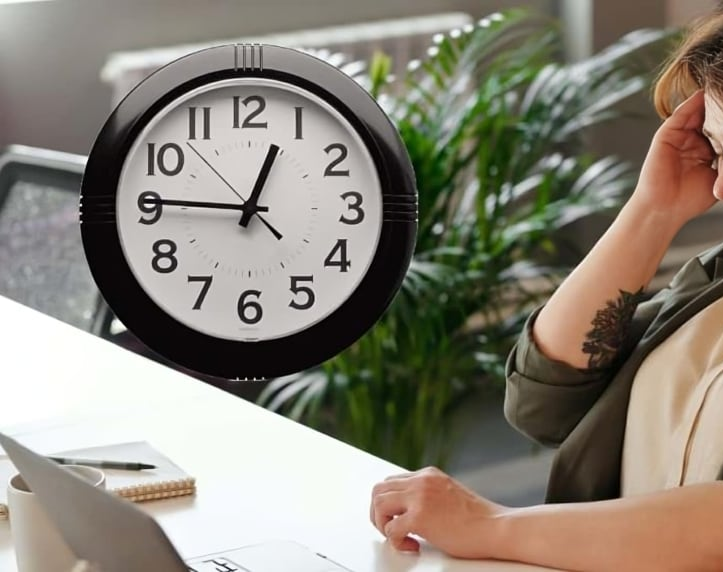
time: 12:45
